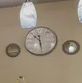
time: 10:28
